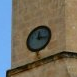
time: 12:16
